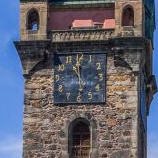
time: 11:28
